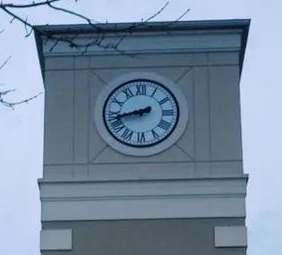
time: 8:42
